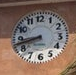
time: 8:43
